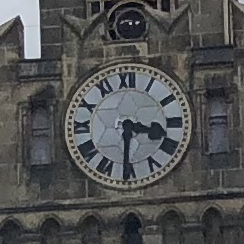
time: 3:30
